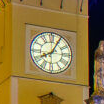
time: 8:04
